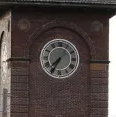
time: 7:34
